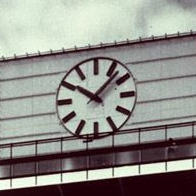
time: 10:07
